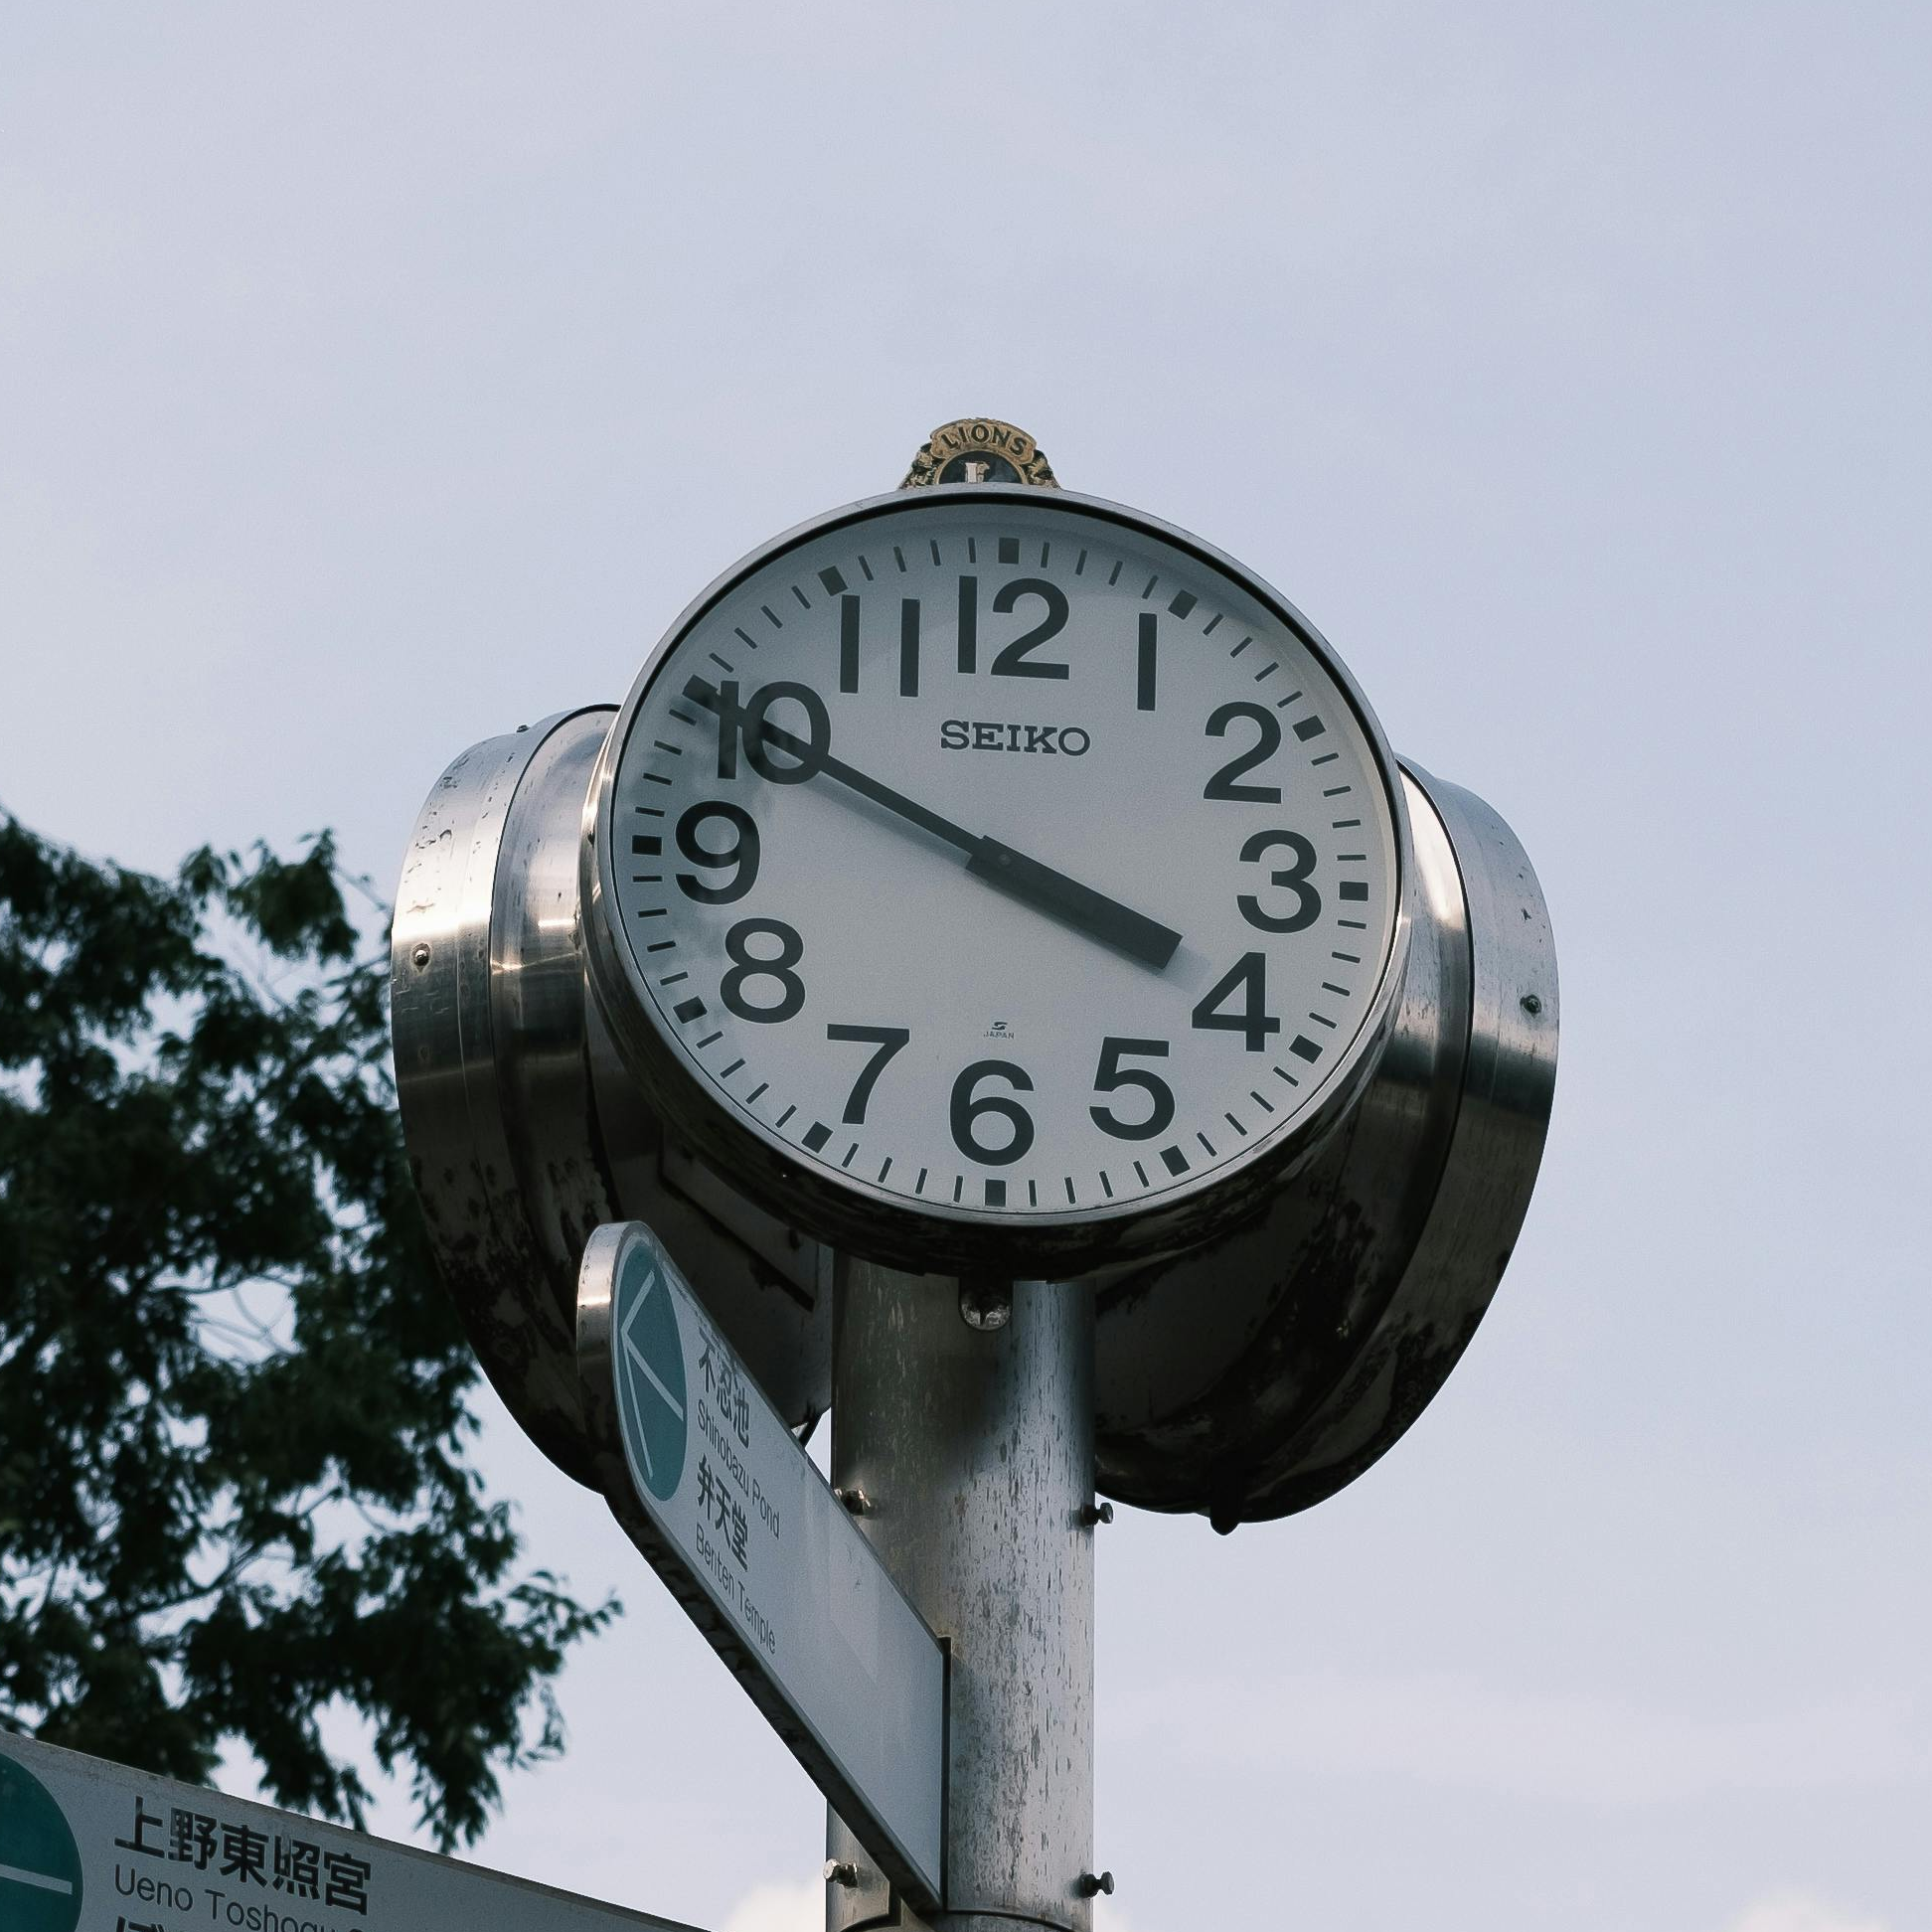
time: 3:49
